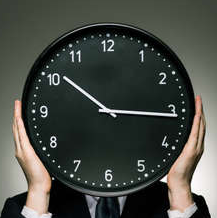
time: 10:15
